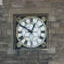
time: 12:50
